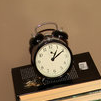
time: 1:10
